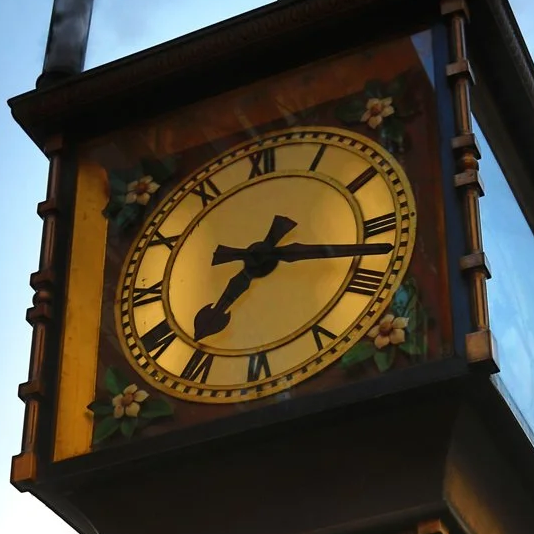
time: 7:17
